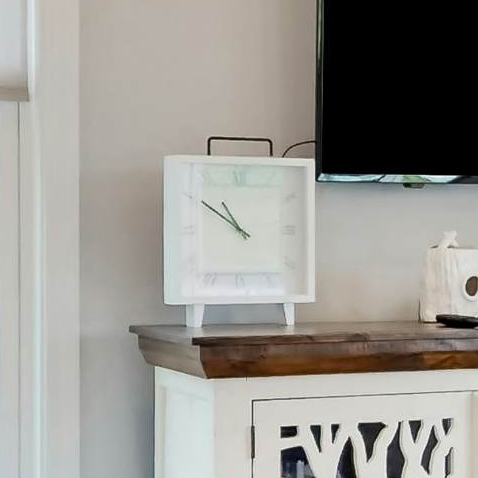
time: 10:50
